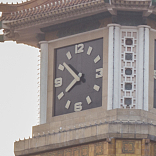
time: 7:51
